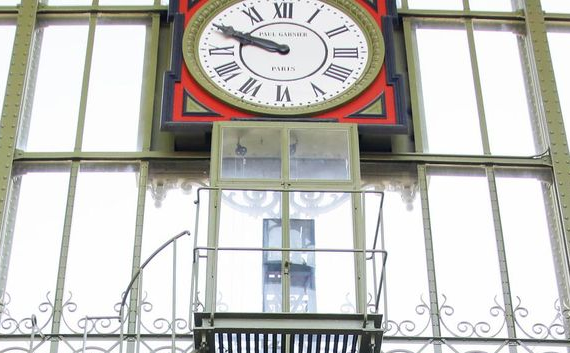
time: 9:48
